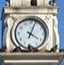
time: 4:03
